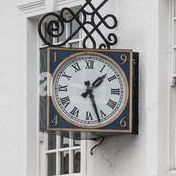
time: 1:26
